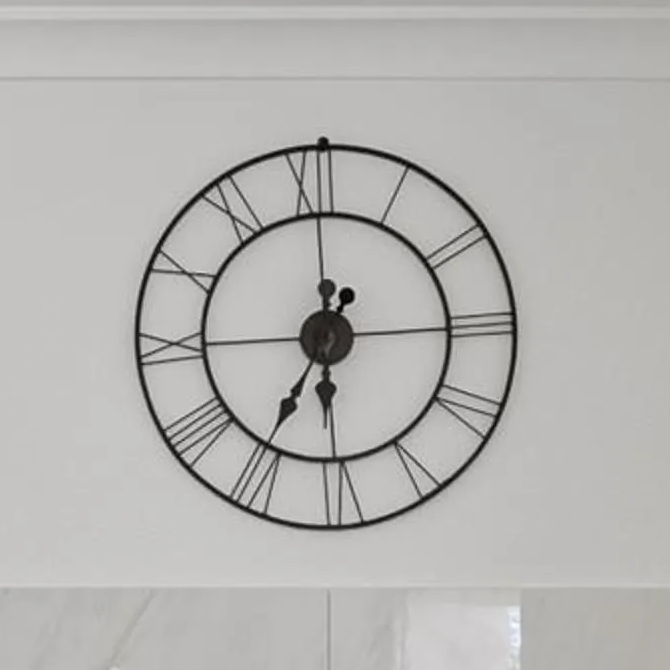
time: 6:35
